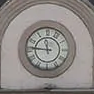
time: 11:46
